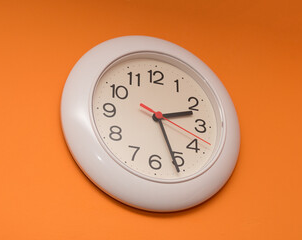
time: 2:26
